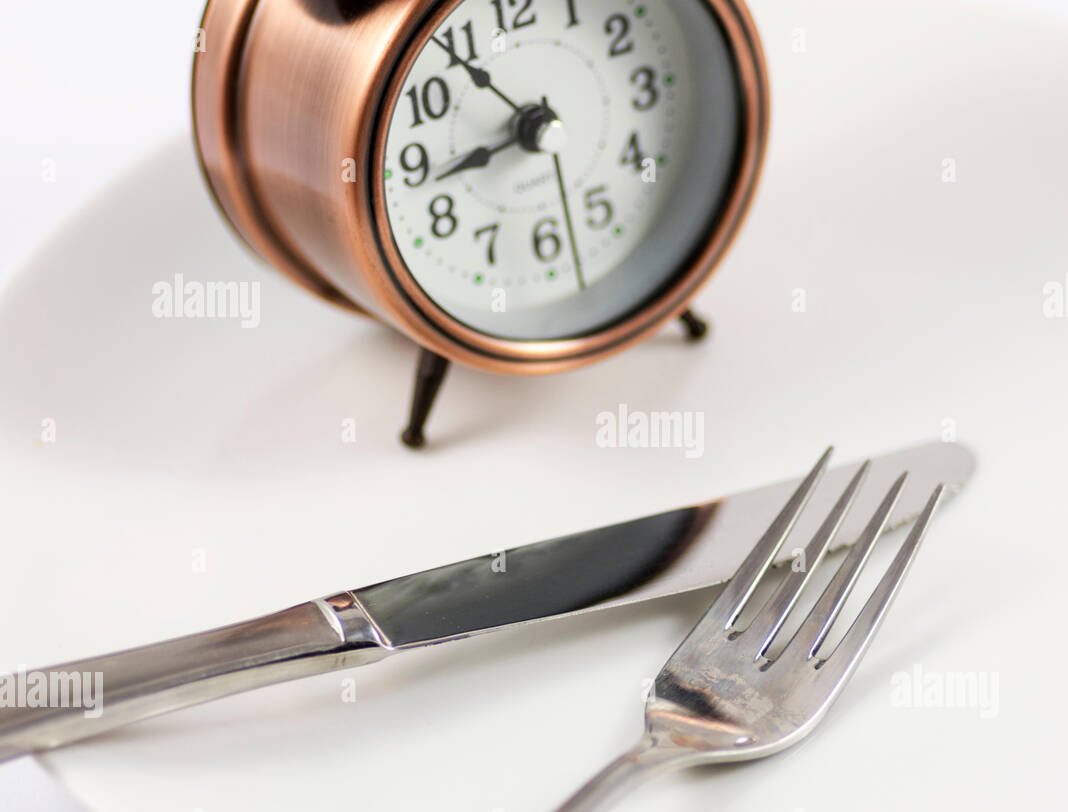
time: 8:53
